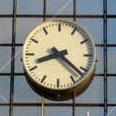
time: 8:21
